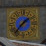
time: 1:36
